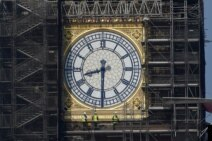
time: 8:30
